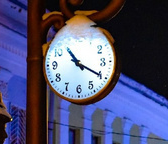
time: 10:19
